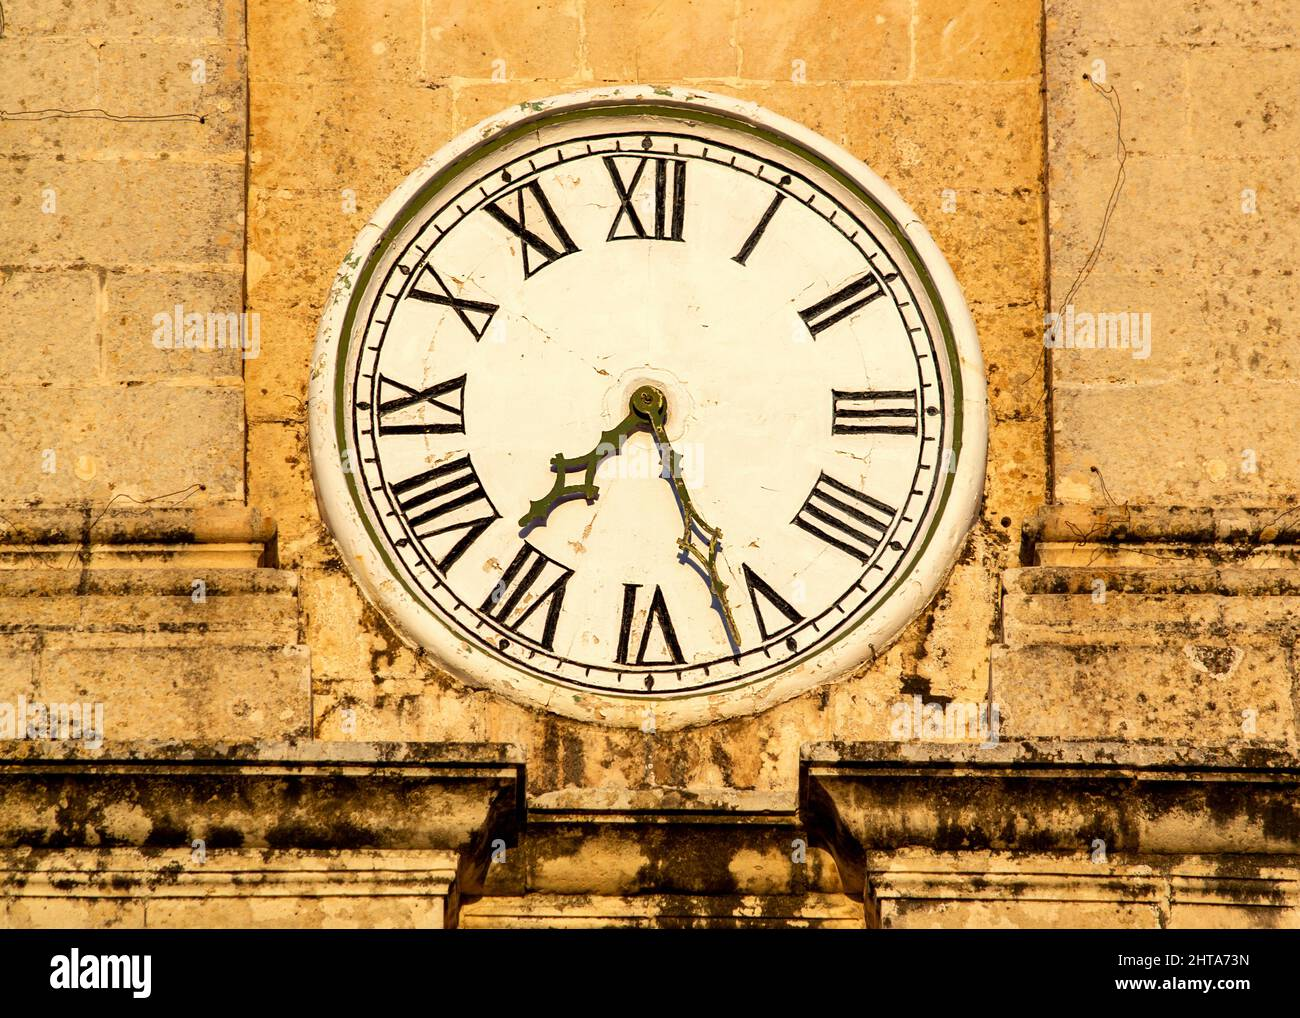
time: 7:26
